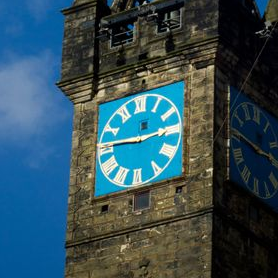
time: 9:13
